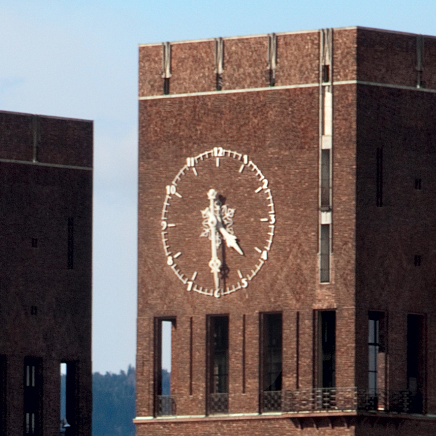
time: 4:29
